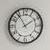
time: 1:54
